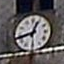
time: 12:42
